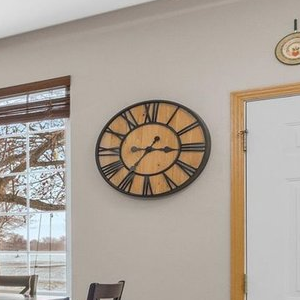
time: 7:15
